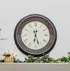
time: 6:26
